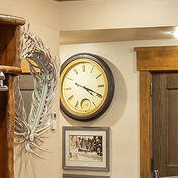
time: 4:19
